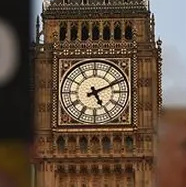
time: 5:11
